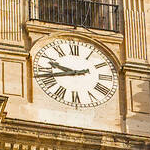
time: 9:42
